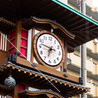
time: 6:46
